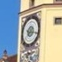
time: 7:17
